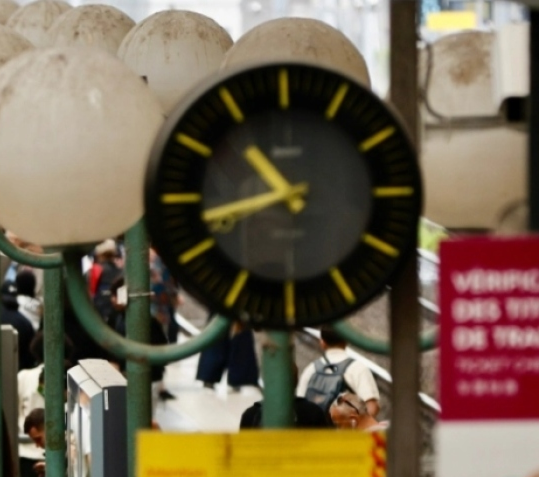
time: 10:42
